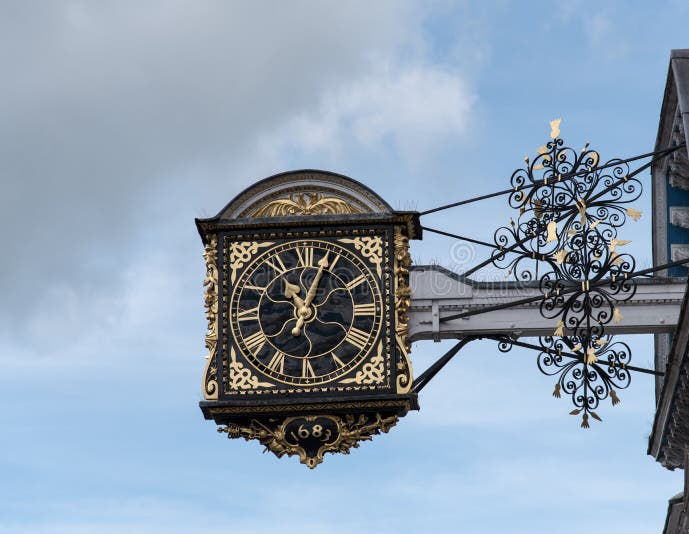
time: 11:03
